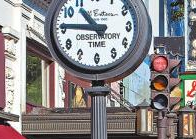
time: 10:45
